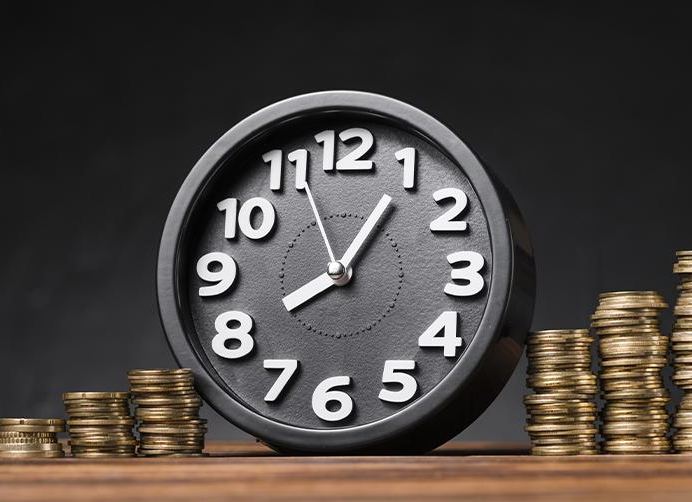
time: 8:05
